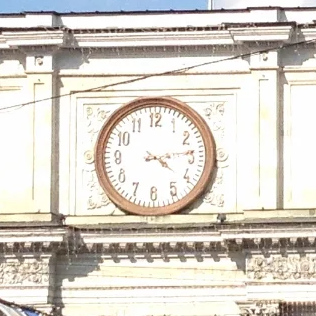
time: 4:13
